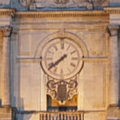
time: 7:38
